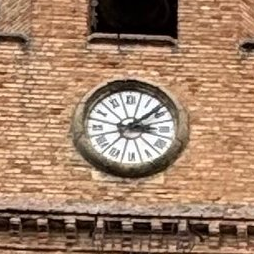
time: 3:08
